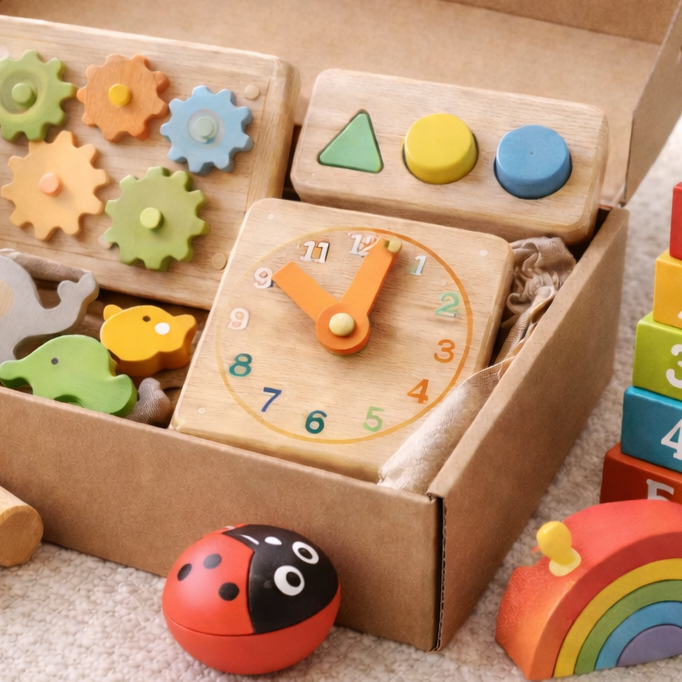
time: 10:02
